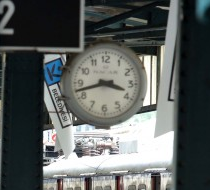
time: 3:42
